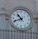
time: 10:41
